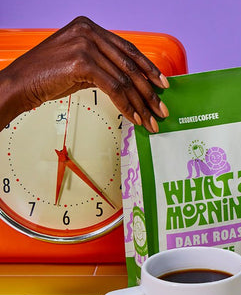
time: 6:22
